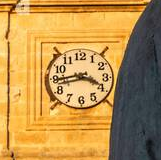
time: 3:43
